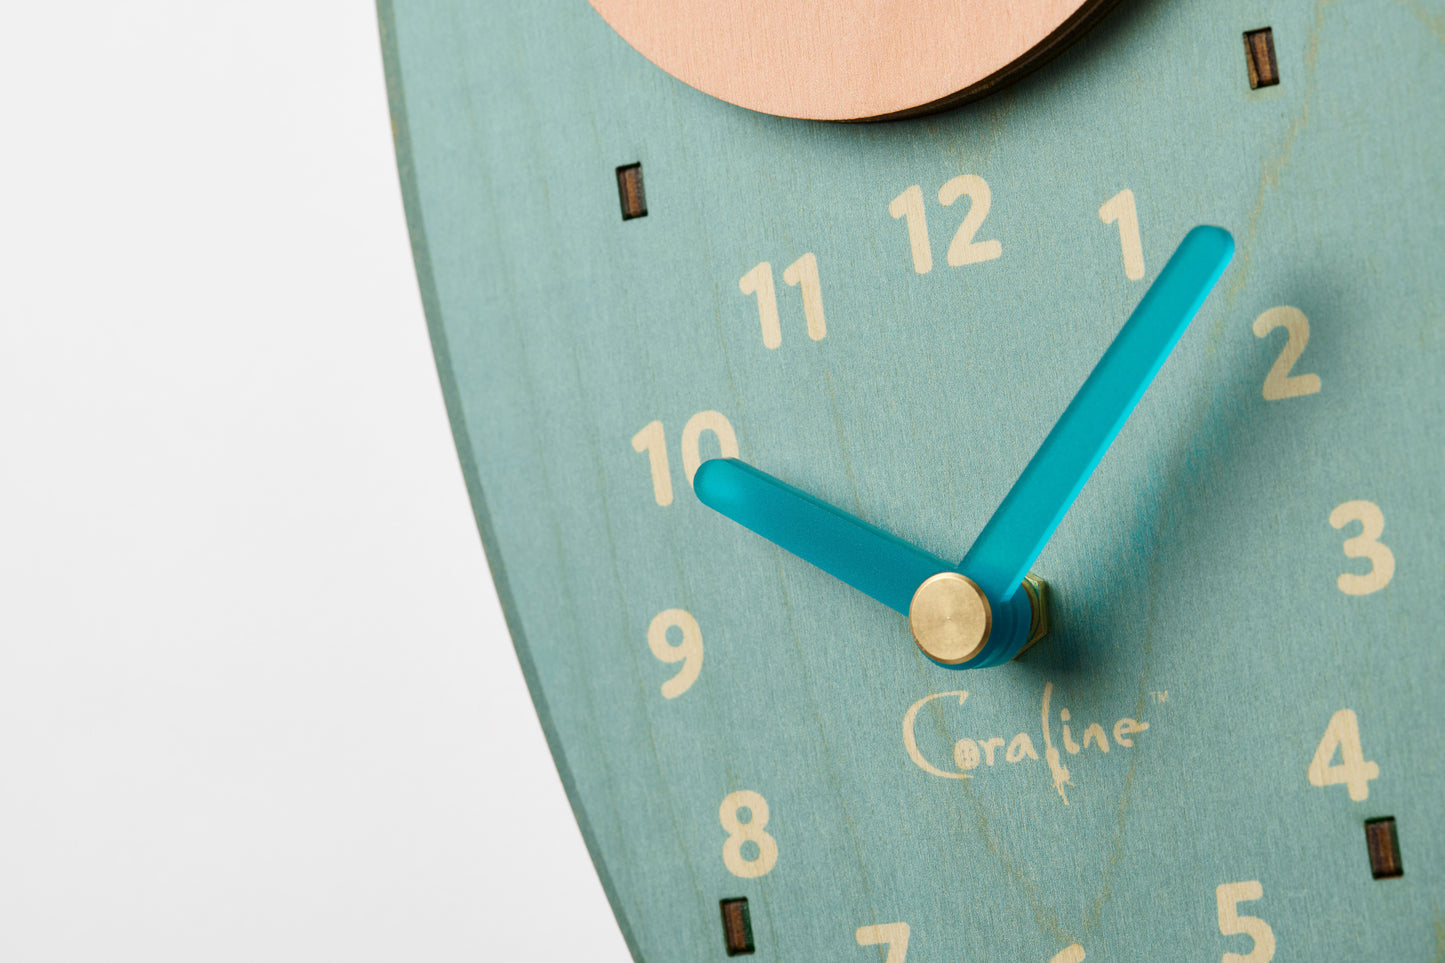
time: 10:07
